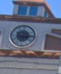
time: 10:14
